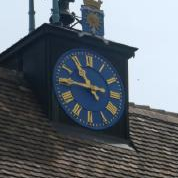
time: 10:45
